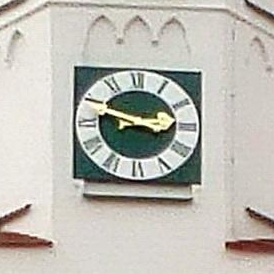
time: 2:48
